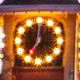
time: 7:00
